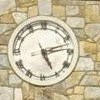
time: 5:12
